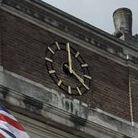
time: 4:00
